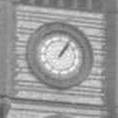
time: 1:05
